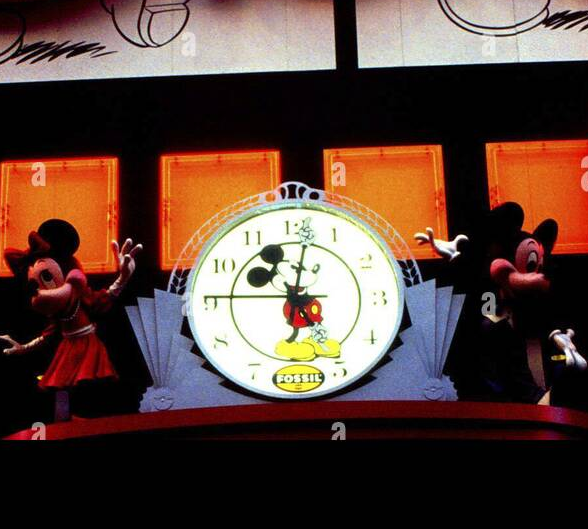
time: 5:01
